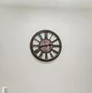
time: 2:42
